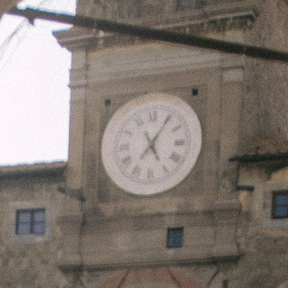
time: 5:05
